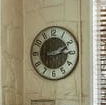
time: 2:14
